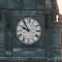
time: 9:53
